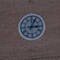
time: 3:04
